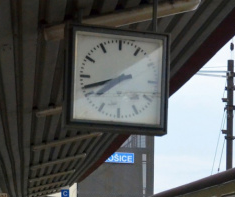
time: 7:42
